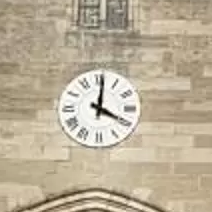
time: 4:01
